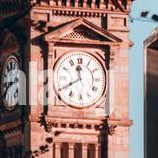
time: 11:40
